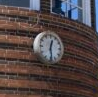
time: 12:28
